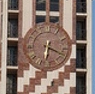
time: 6:18
